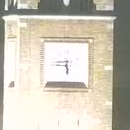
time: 5:45
